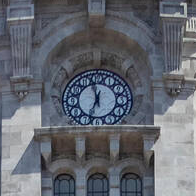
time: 11:33
